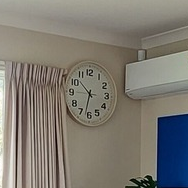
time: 10:32
